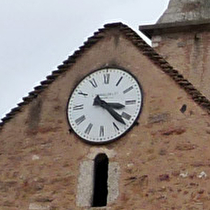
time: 3:22
